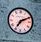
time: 7:11
